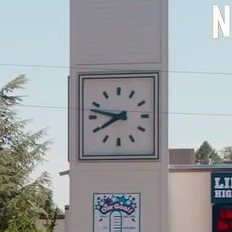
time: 7:47
